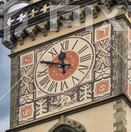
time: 11:49
